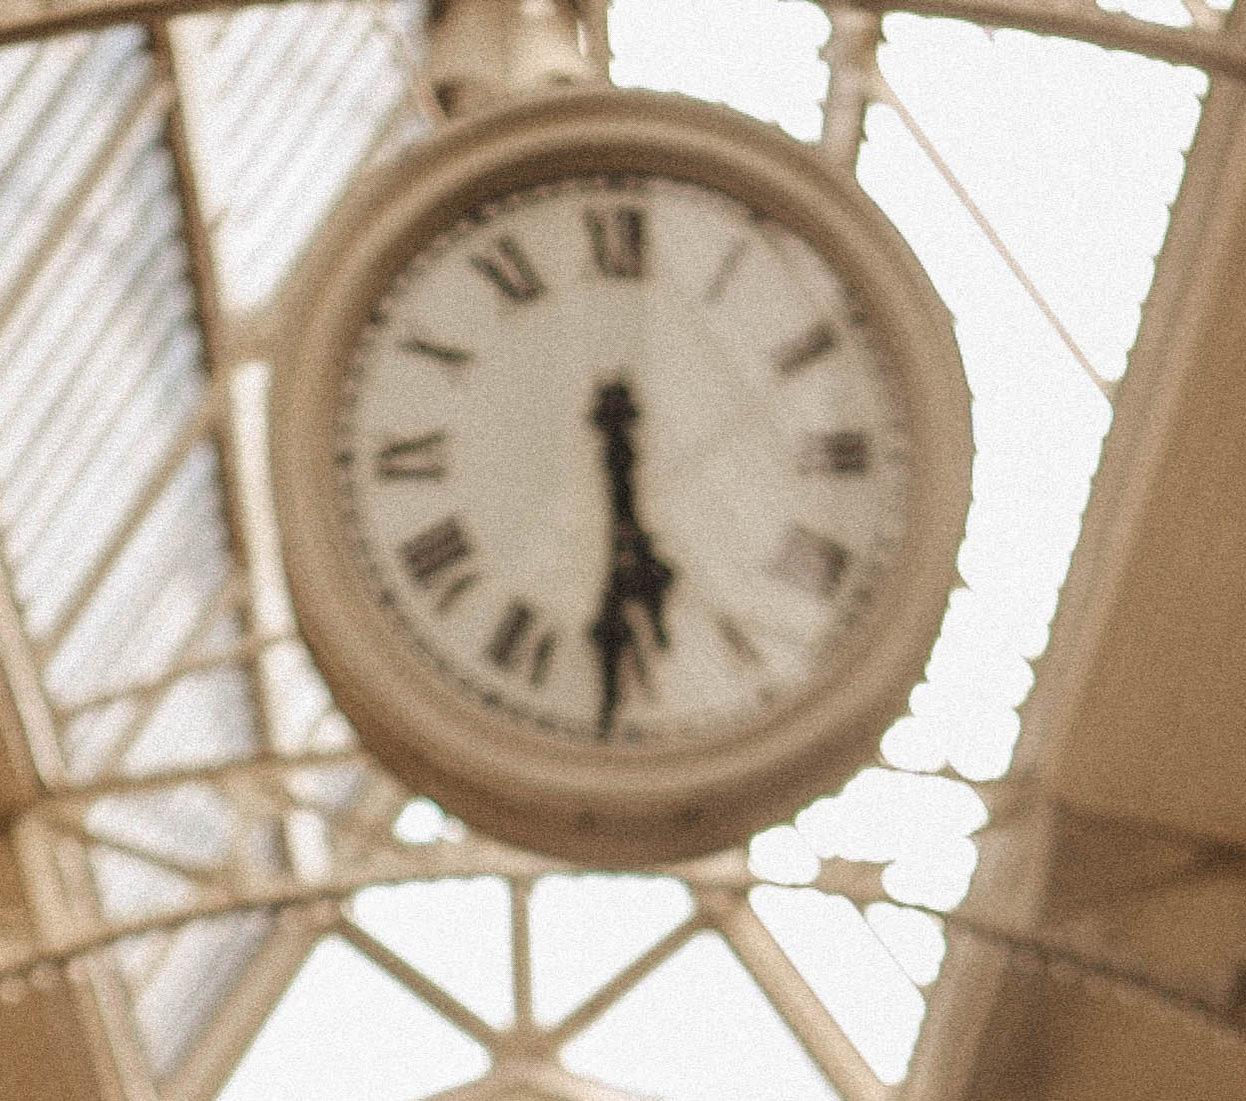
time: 5:30
